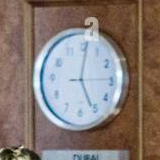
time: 5:01
